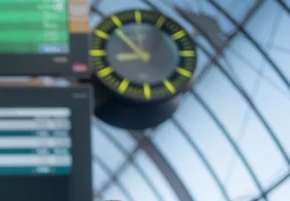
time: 8:53
